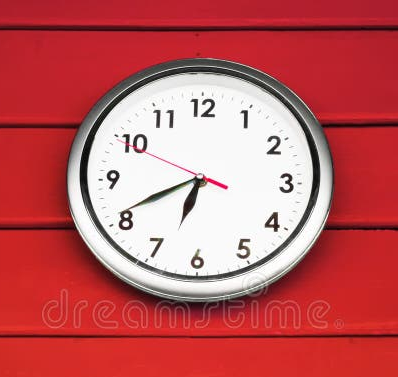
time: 6:40
